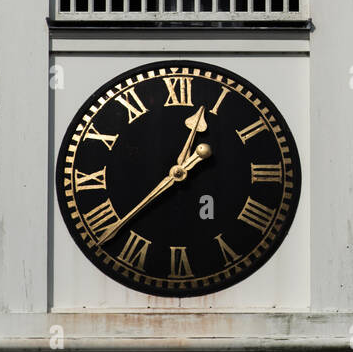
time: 12:38
